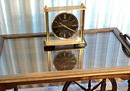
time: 10:19
